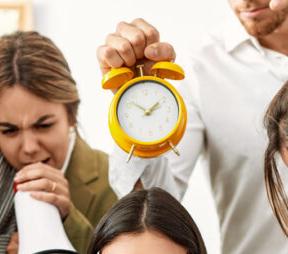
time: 1:52
